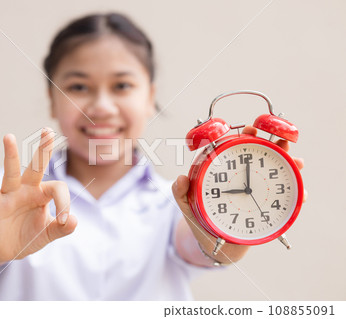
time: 9:00
